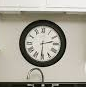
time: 2:30
